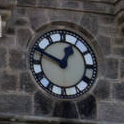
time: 12:49
